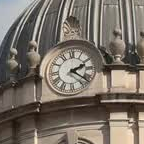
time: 2:21
